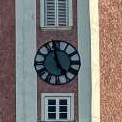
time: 4:57
